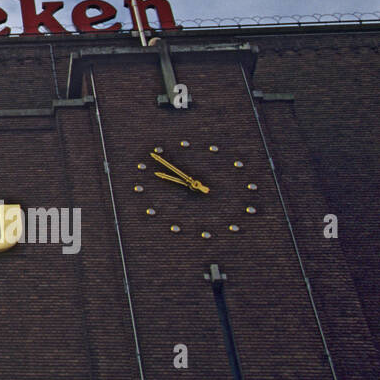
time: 9:53
